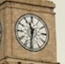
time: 11:31
